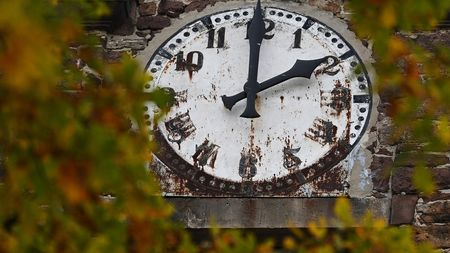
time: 2:00
